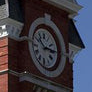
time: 10:14
